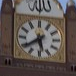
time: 5:38
